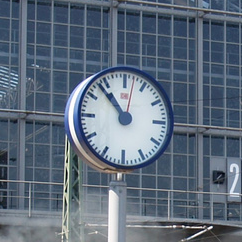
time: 10:52
